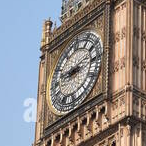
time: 9:12
